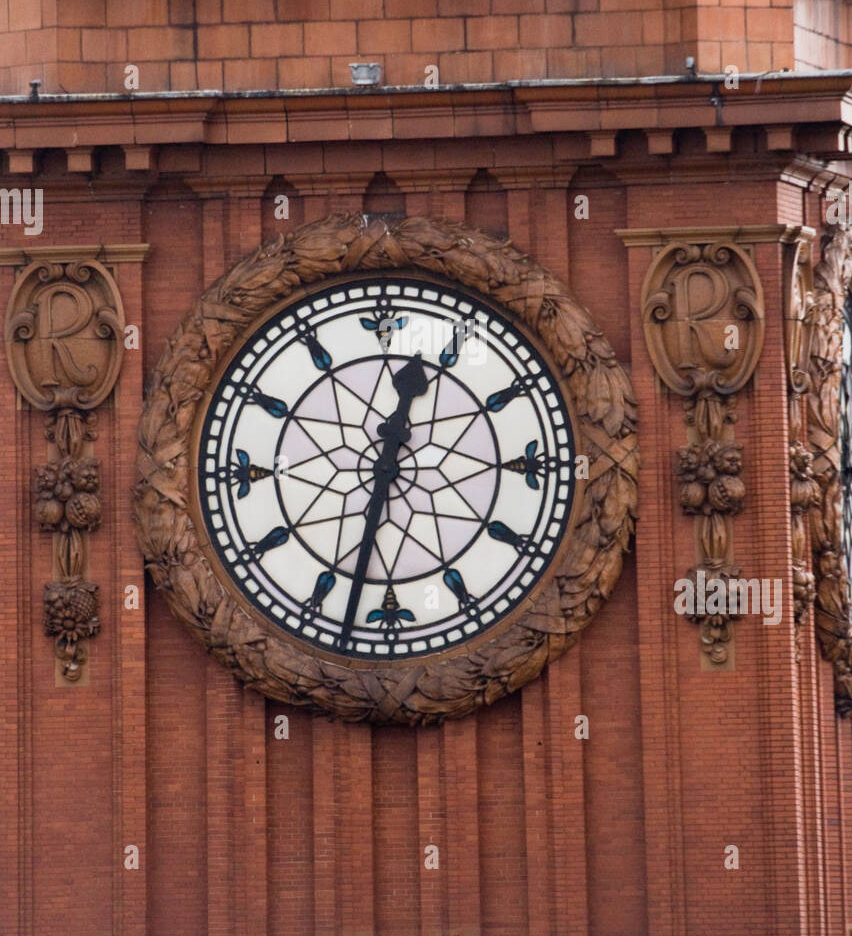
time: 12:32
